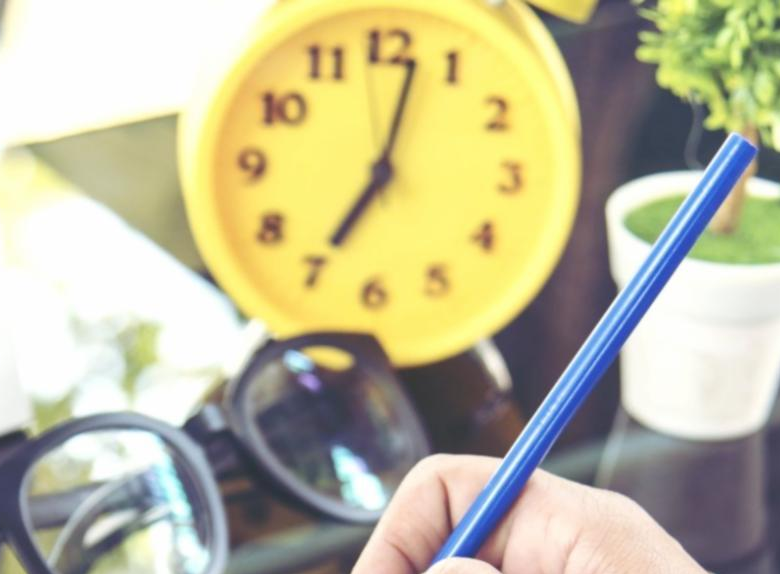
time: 7:02
